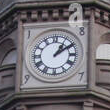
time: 1:09
